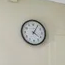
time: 4:05
